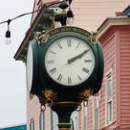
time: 2:10
